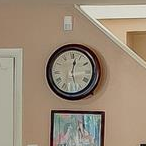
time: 12:27
